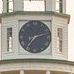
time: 7:11
